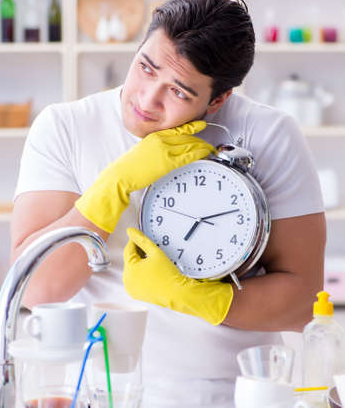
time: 7:12
